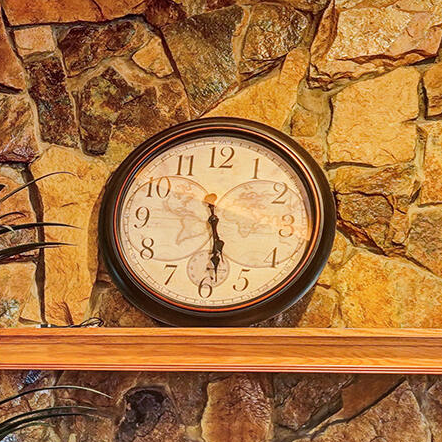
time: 5:28
